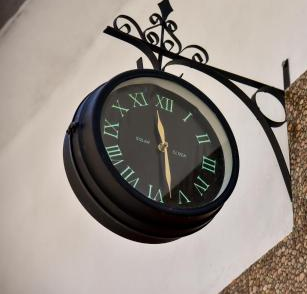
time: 11:28
